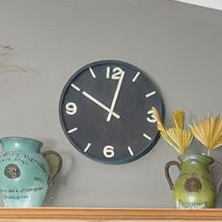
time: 10:02
